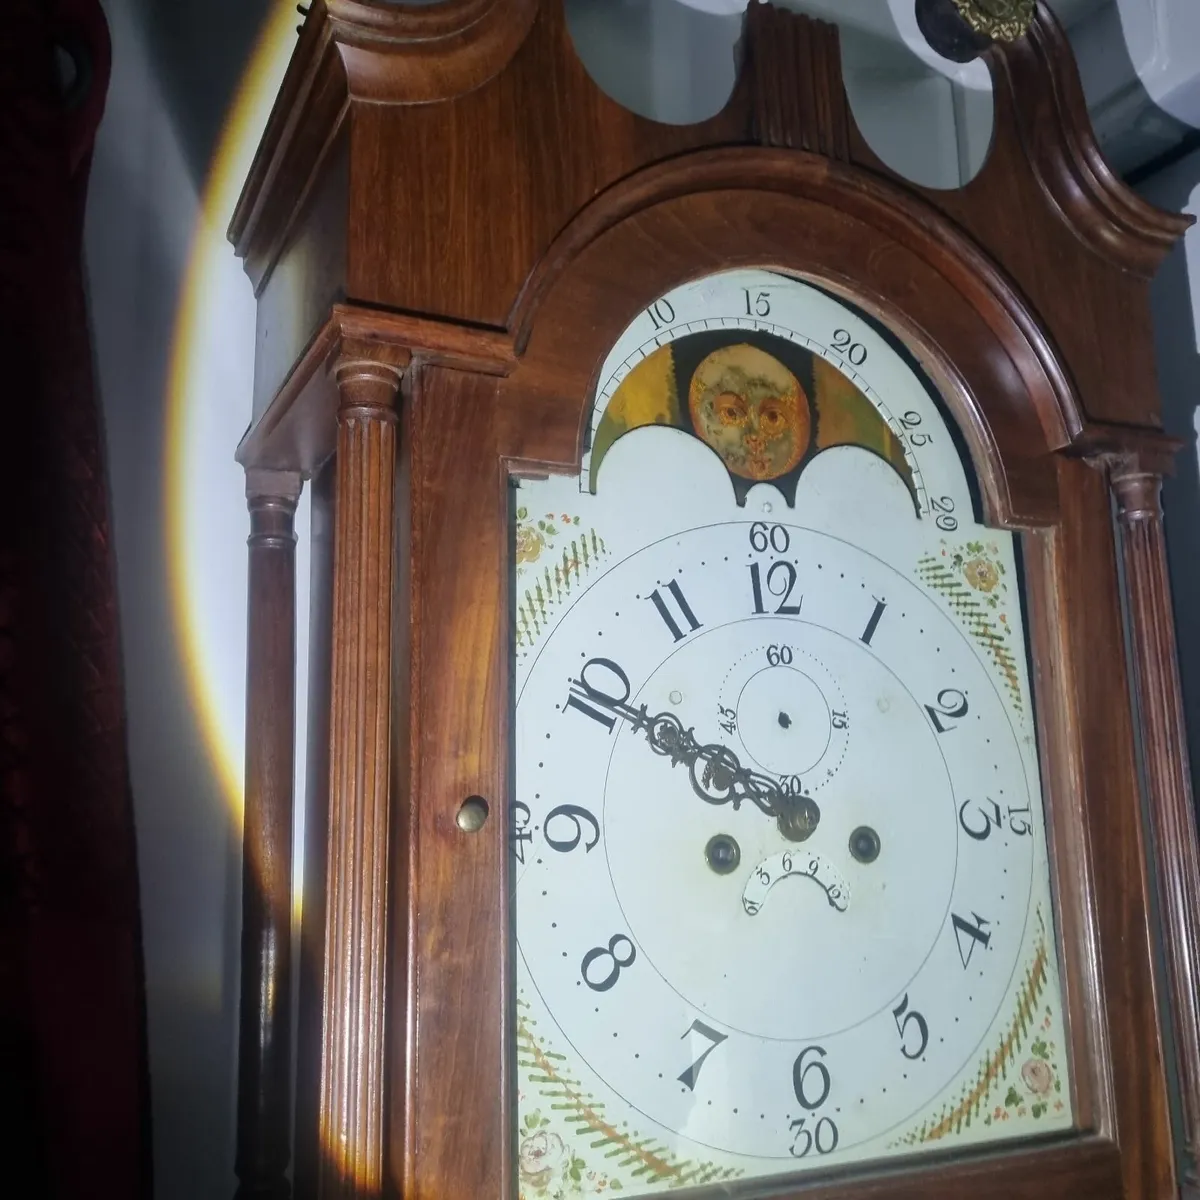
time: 9:49
